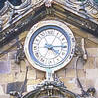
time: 4:14
